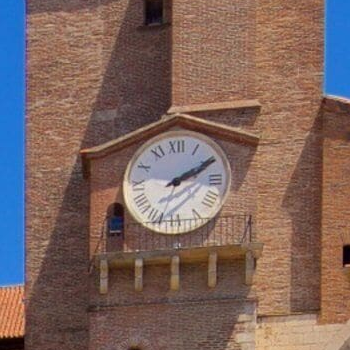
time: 2:10
